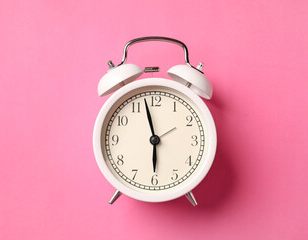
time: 5:57
